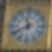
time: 11:40
